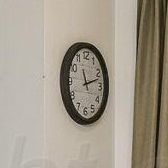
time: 11:12
